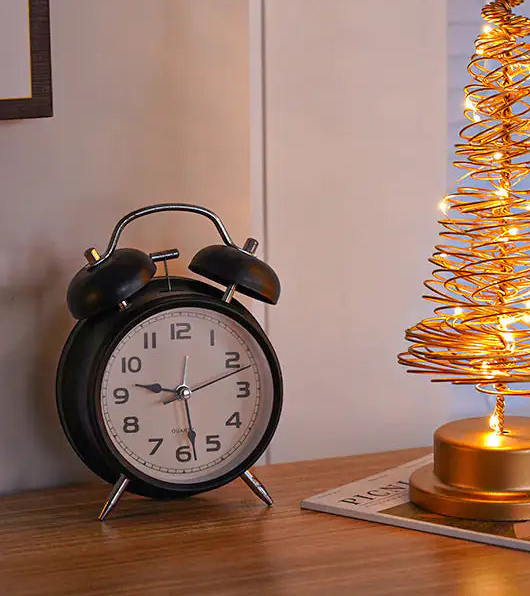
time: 9:28
